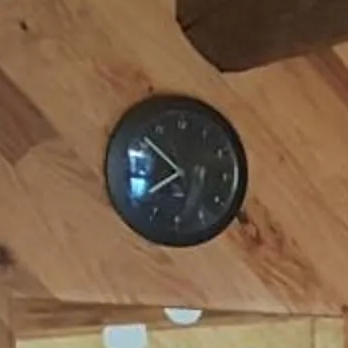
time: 7:51
